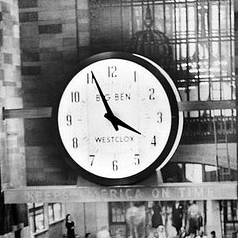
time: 3:55
